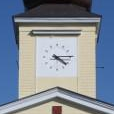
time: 4:14
